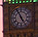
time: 4:55
